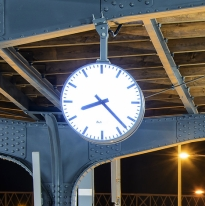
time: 8:22
